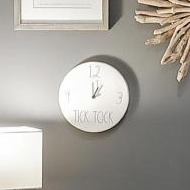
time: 1:01
